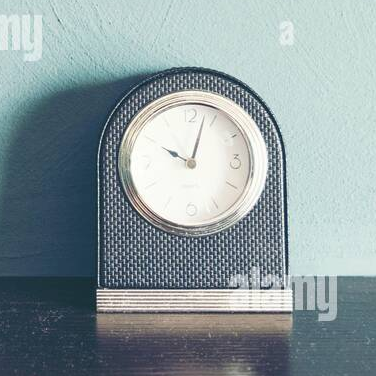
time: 10:02
